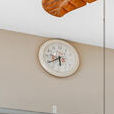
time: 5:39
